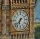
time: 6:37
